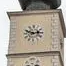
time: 2:48
